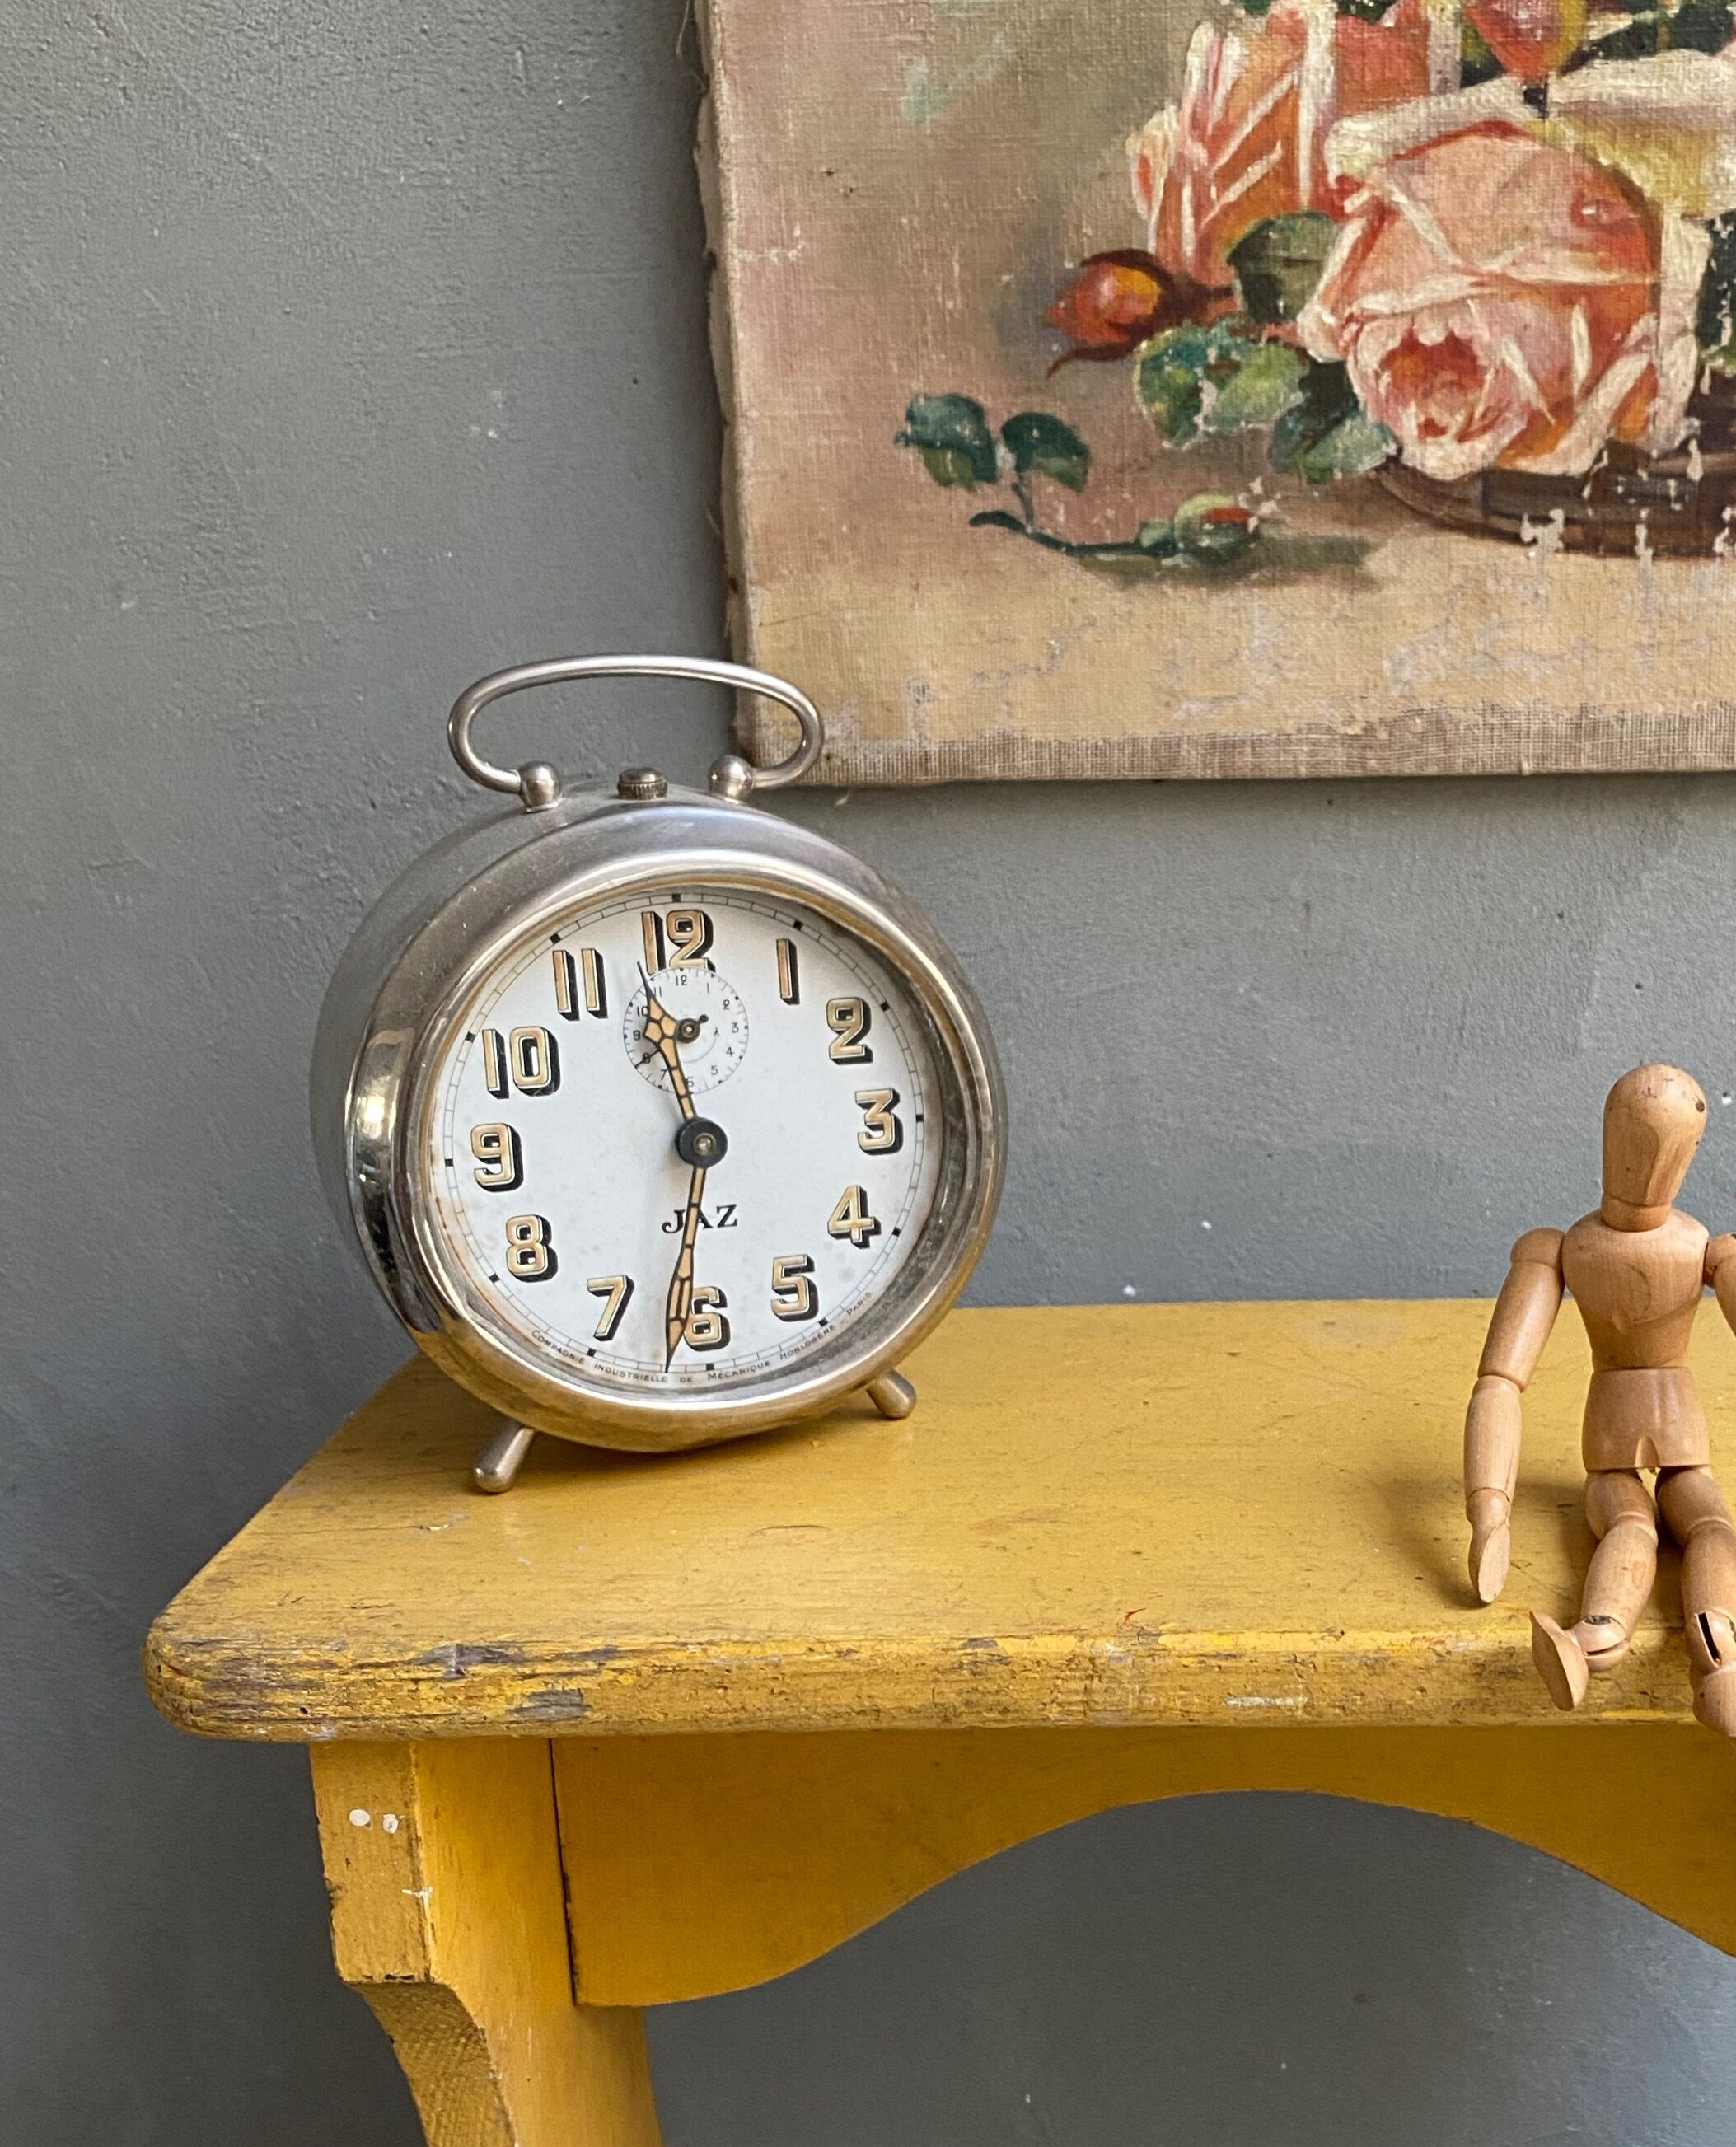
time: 11:31
